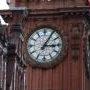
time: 3:05
